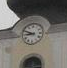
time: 8:48
